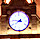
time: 7:46
